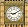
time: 9:10
